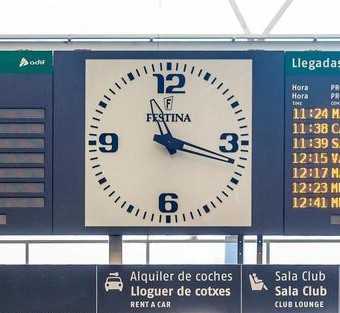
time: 11:17
